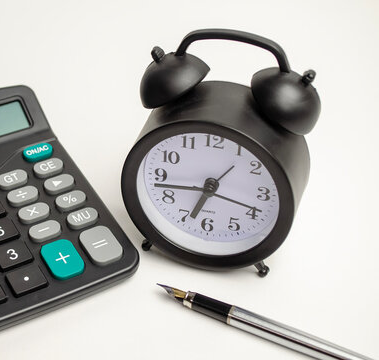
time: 6:43
